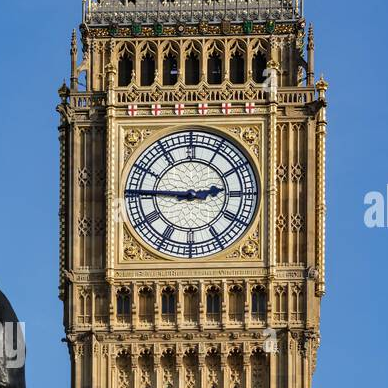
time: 2:45
